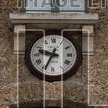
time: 9:34
